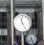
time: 11:25
